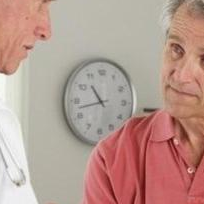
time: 10:42
